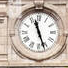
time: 11:26
